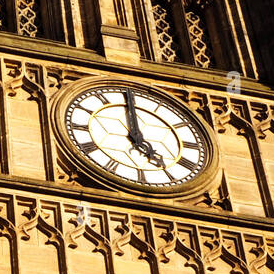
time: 4:59
